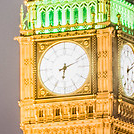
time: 6:11
